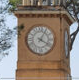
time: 4:04
